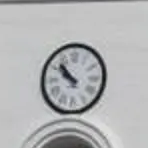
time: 9:52
